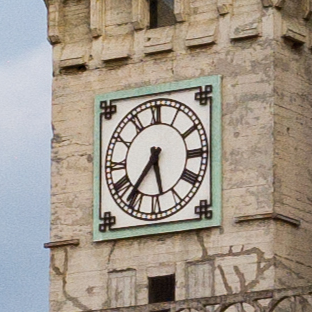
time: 5:36
